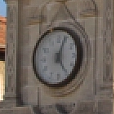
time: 5:03
